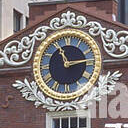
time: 11:13
